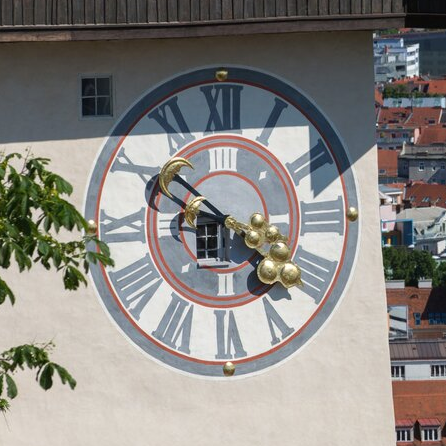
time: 4:50
